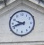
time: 9:42
